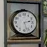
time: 2:27
